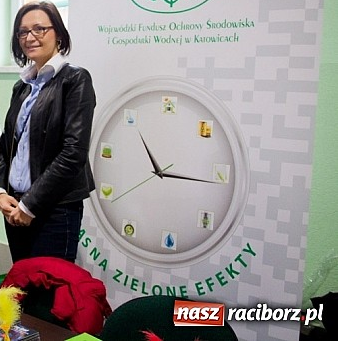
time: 11:15
